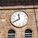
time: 11:40
